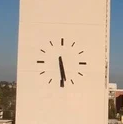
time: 5:29
